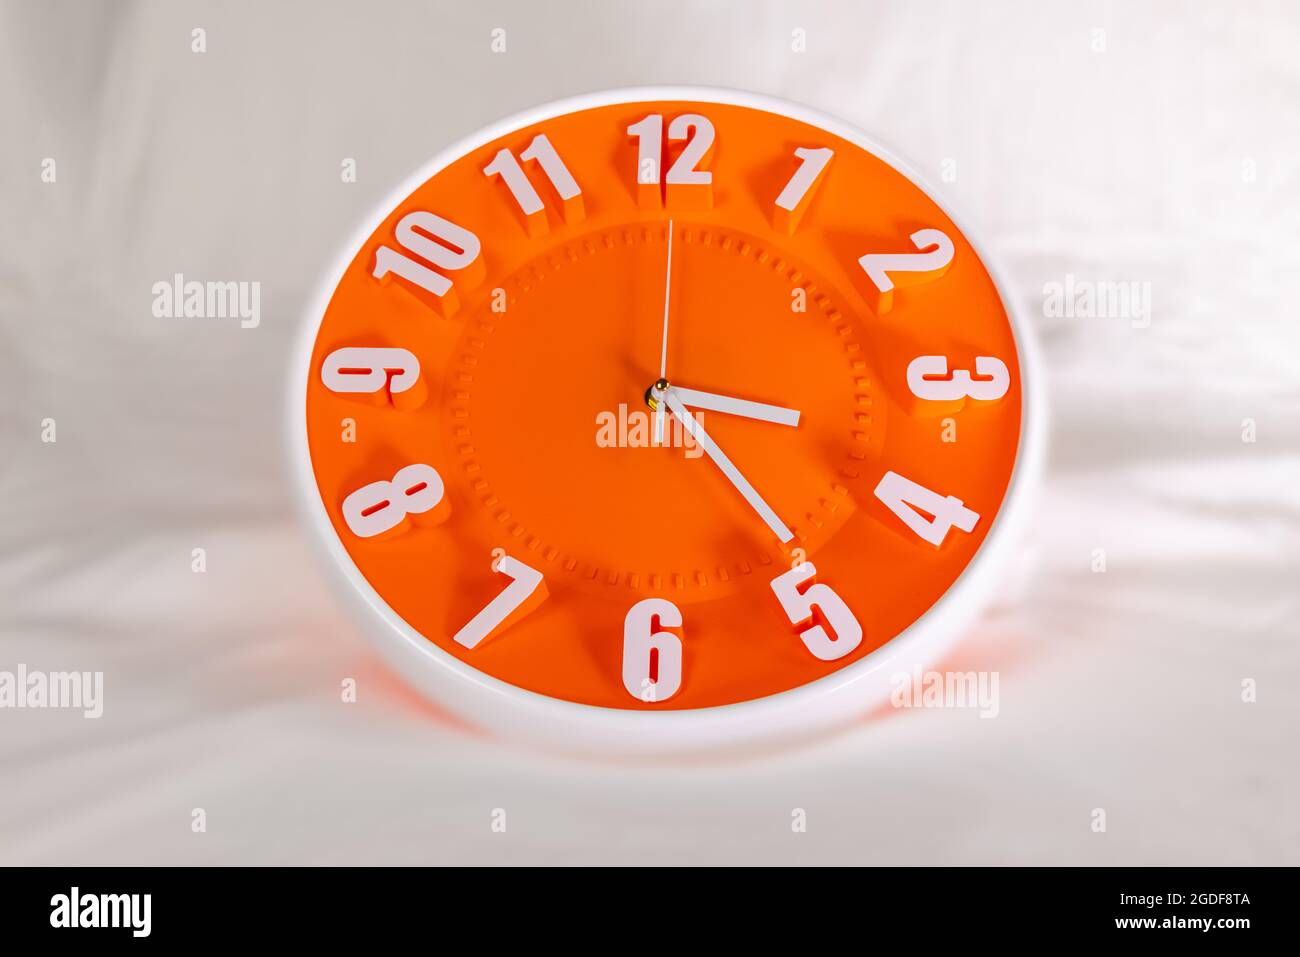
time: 3:23
